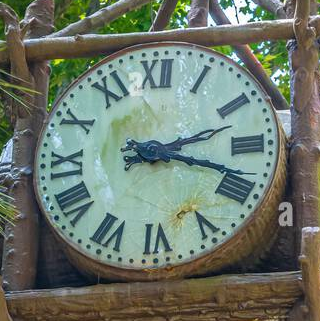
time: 2:18
